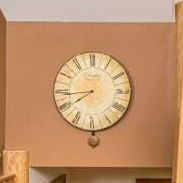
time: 7:43
